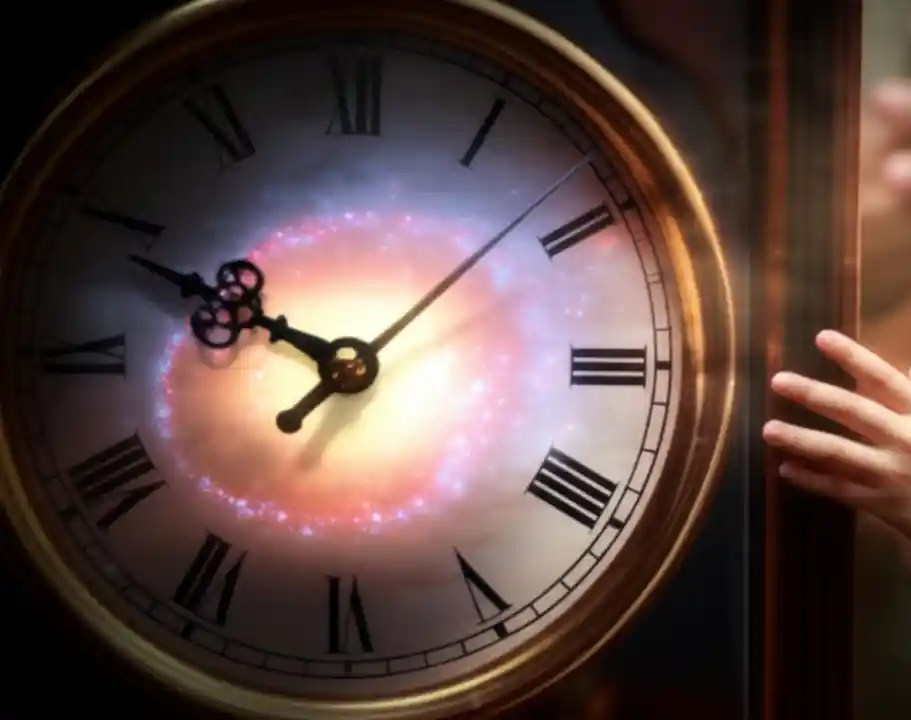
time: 9:48
